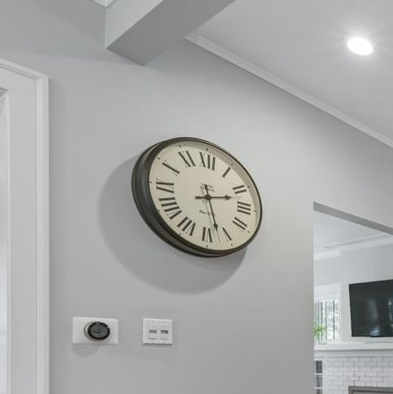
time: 2:27
